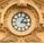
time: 3:06
